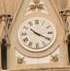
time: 10:19
